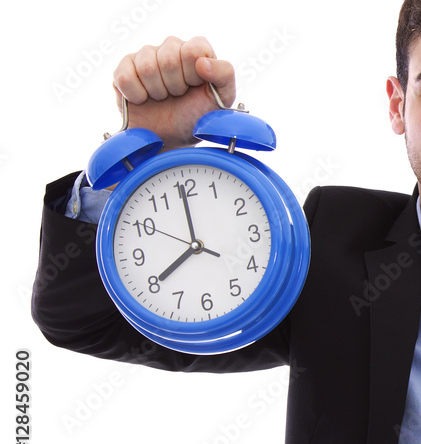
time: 7:59
